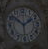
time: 1:51
